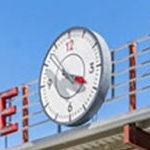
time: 3:52
